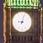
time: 9:03
